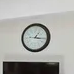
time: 1:16
